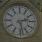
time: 2:27
